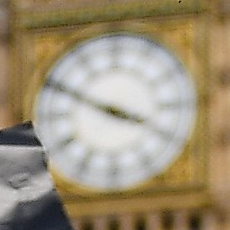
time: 3:49
